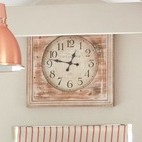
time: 12:47
